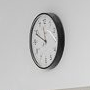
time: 11:48
